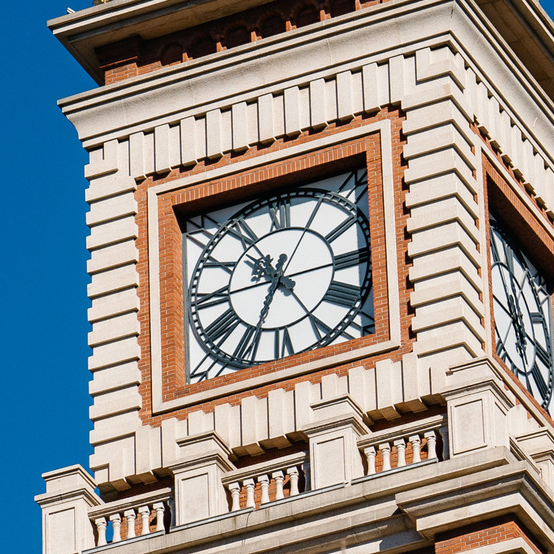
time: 10:34
